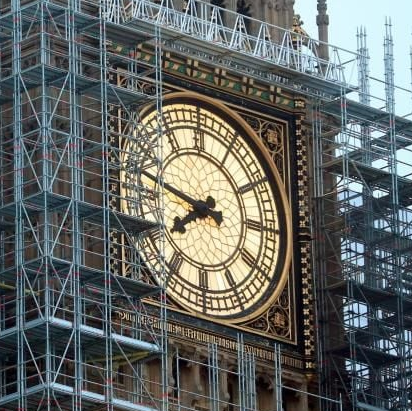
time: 7:47
